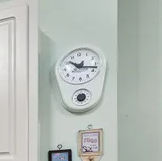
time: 10:17
